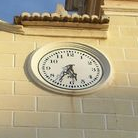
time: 5:34
